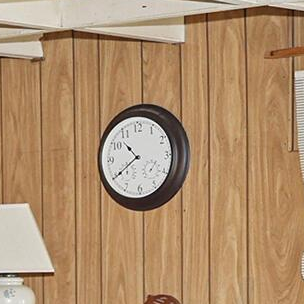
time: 10:39
